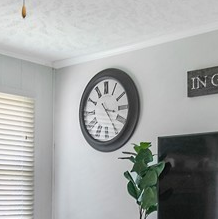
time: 3:24
